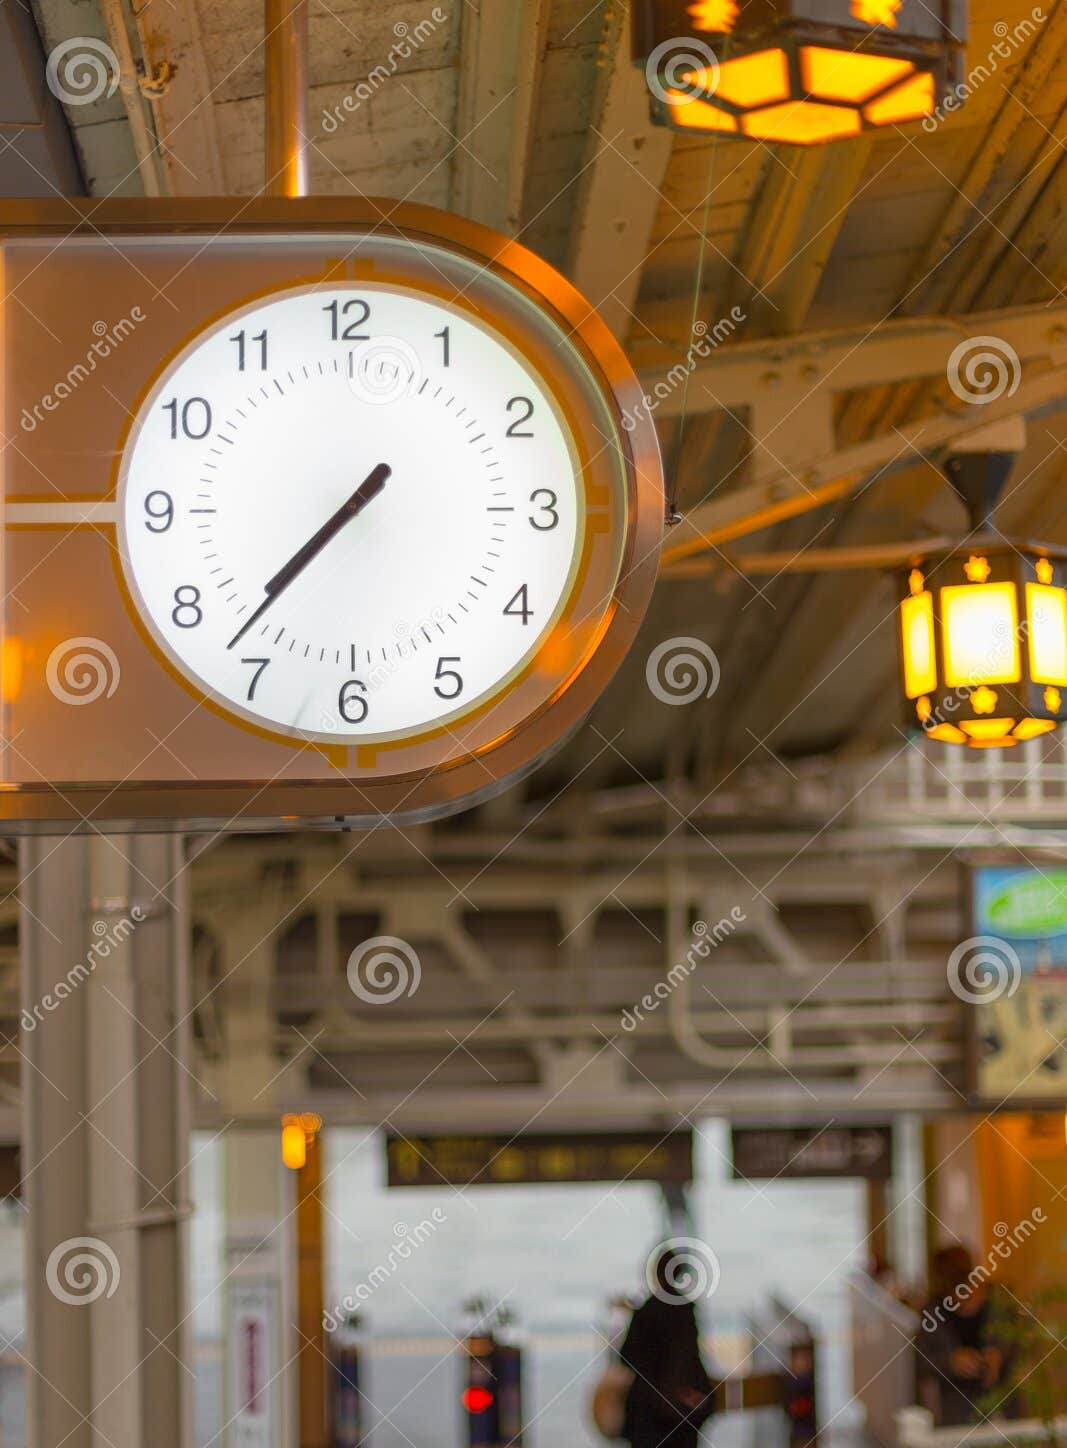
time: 7:37
